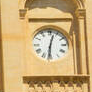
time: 12:31
